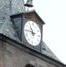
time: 10:45
